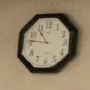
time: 10:46
